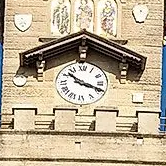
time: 10:18
